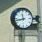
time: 11:42
